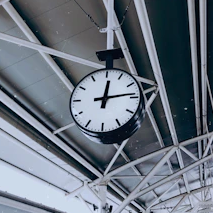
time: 12:13
